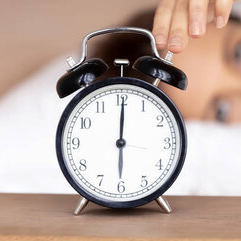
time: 6:00
